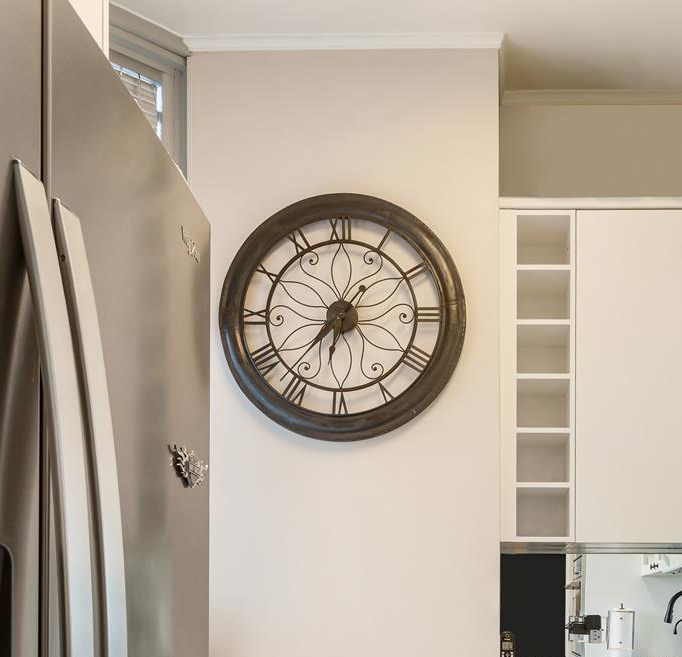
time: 6:36
